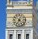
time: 7:04
